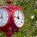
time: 11:46
